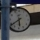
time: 5:38
